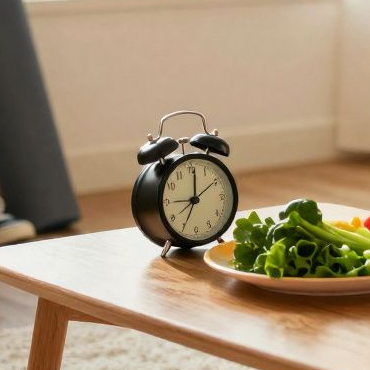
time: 9:01
